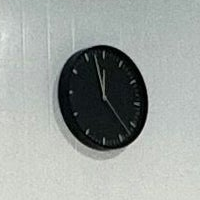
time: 11:57
